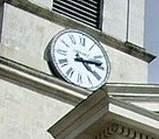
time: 4:13
